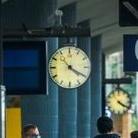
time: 4:20
